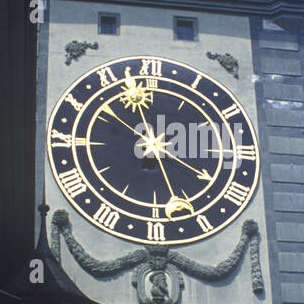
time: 3:57
